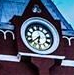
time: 6:38
